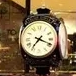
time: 7:18
